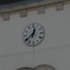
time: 12:38
